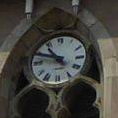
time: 10:48
